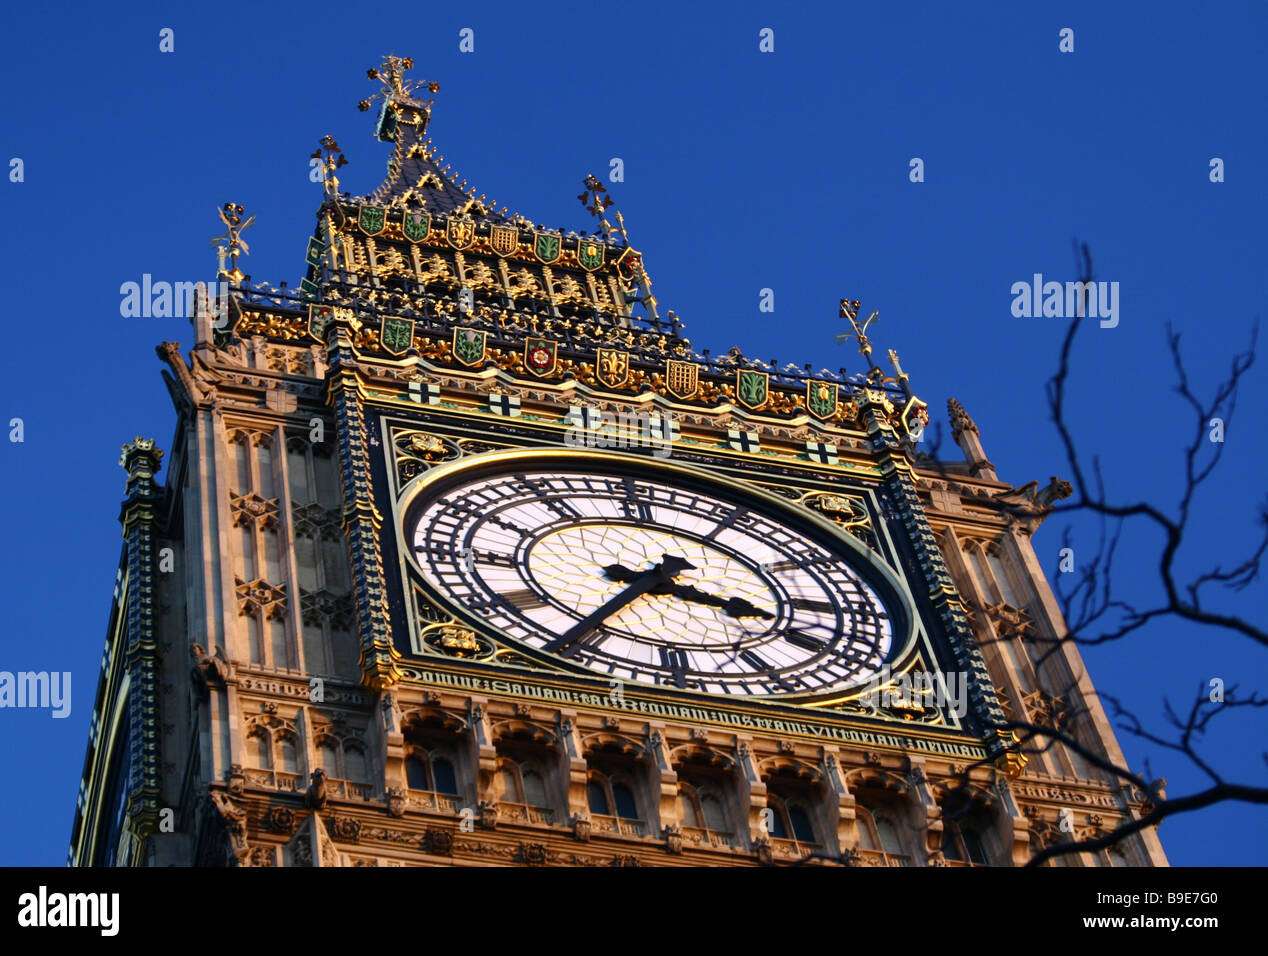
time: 3:35
